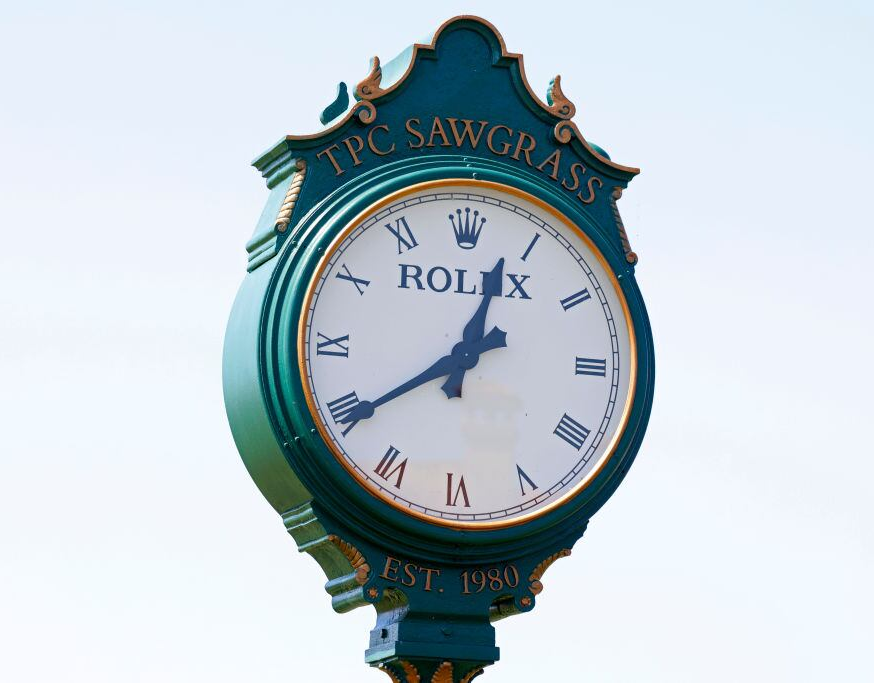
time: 12:39
